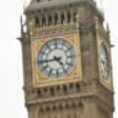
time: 4:44
